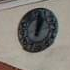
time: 1:02
